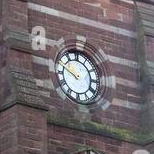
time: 9:48
